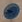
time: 9:42
